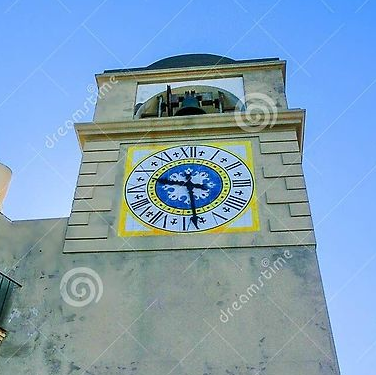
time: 9:27
